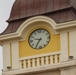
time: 9:35
